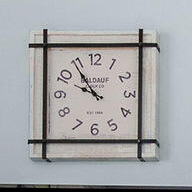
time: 9:54
